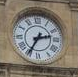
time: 2:35
